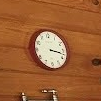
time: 3:17
